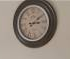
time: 3:09
